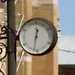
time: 12:32
